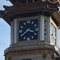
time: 3:39
